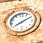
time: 8:10
